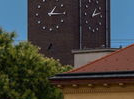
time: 1:14
